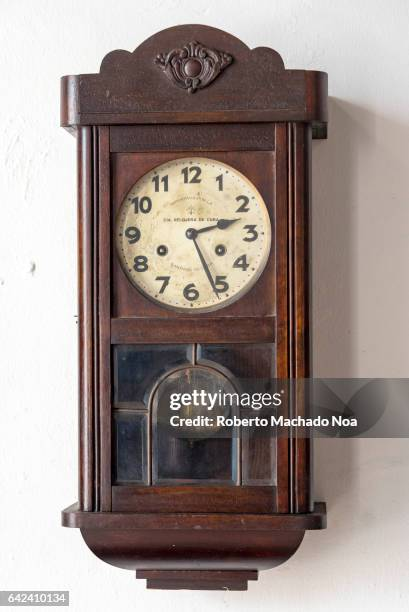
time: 2:25
